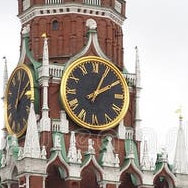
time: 2:04
